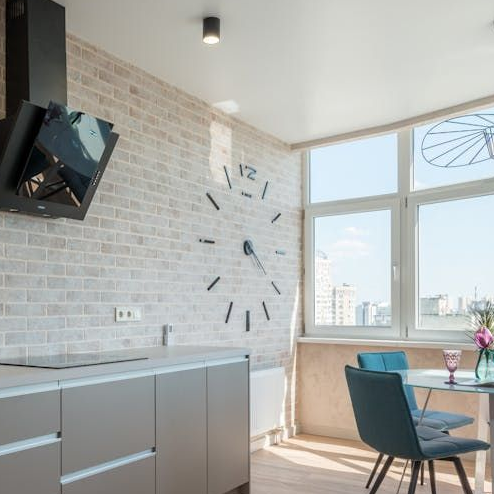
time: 4:20
